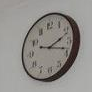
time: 2:18
